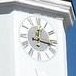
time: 12:16
